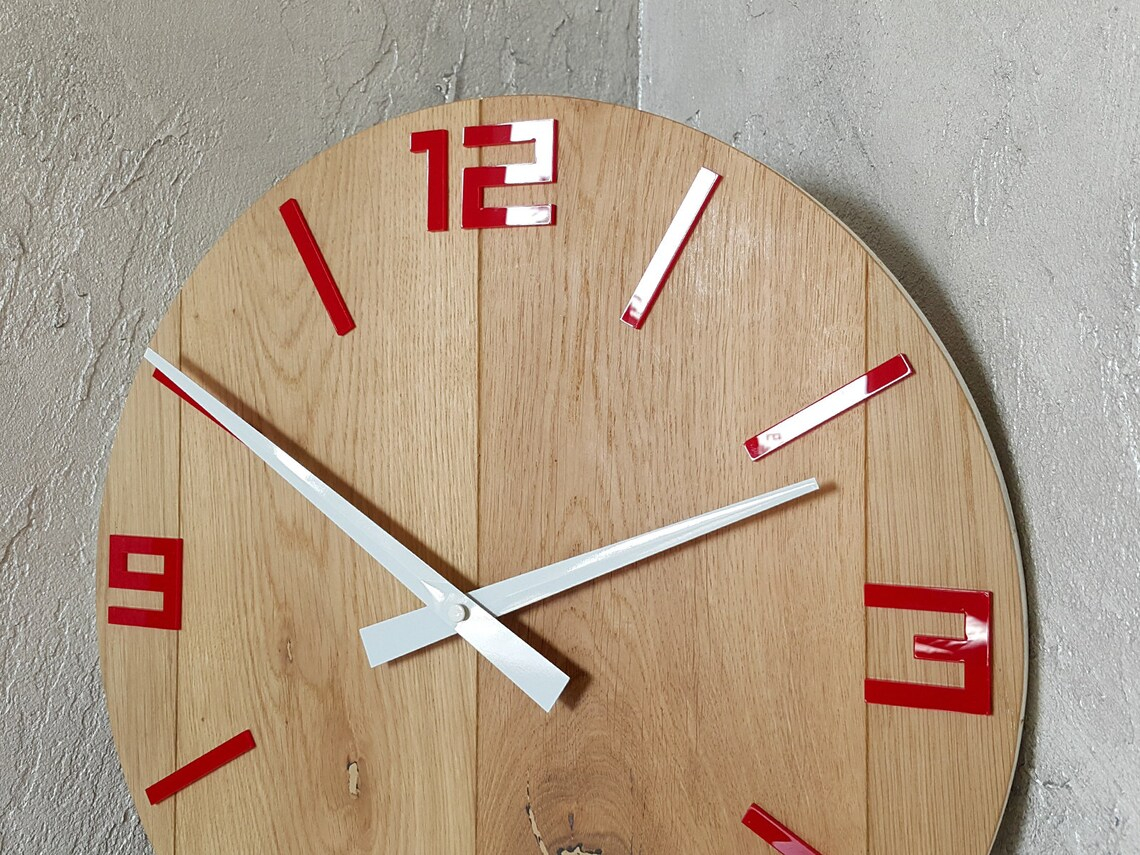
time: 10:11
